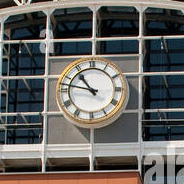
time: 10:47
